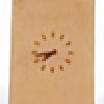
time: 7:43
